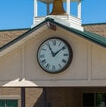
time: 11:08
